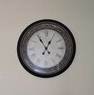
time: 12:54
